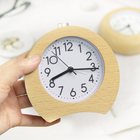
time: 8:15
